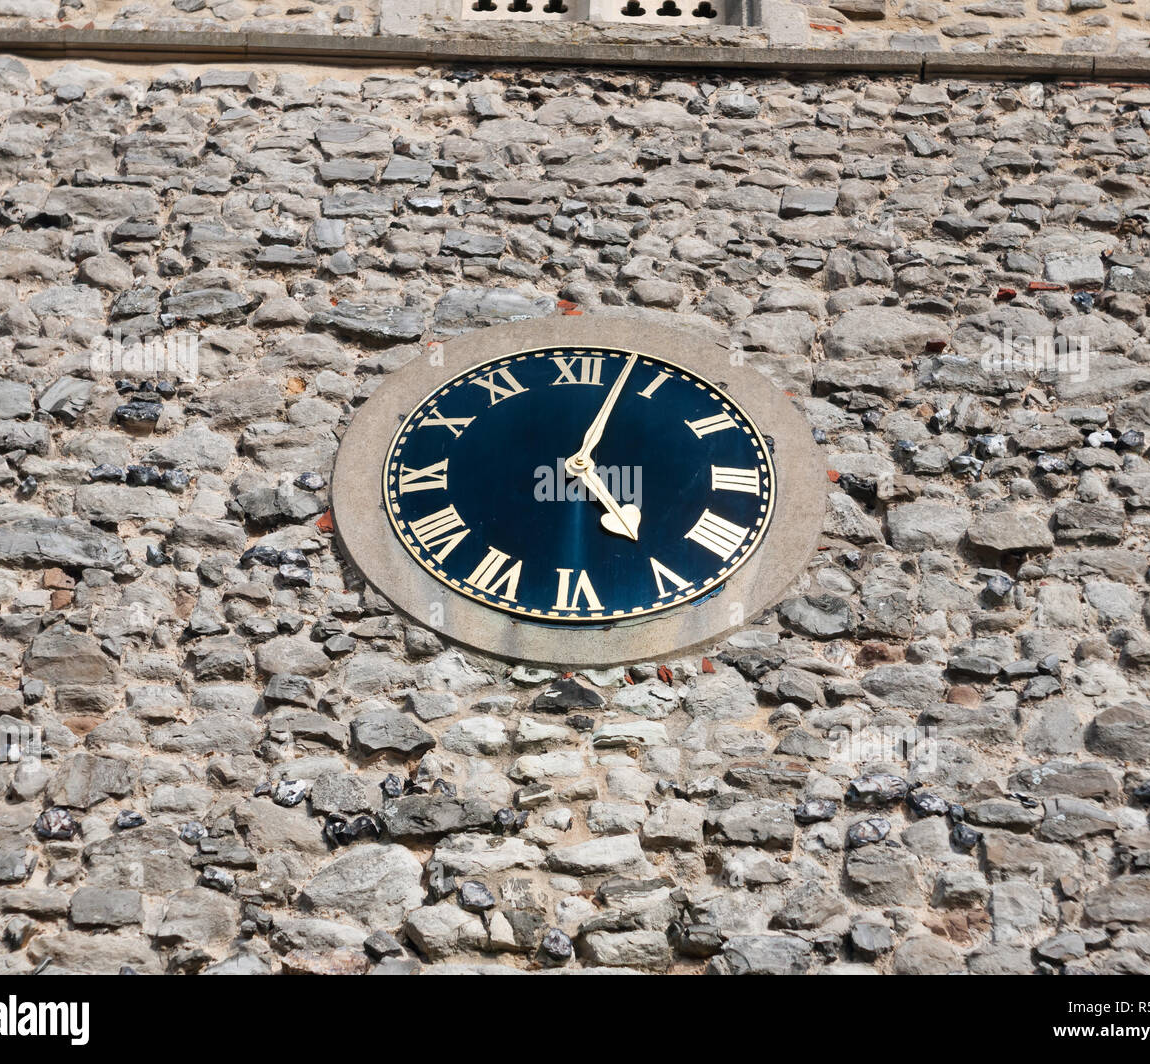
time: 5:03
